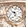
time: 11:37
